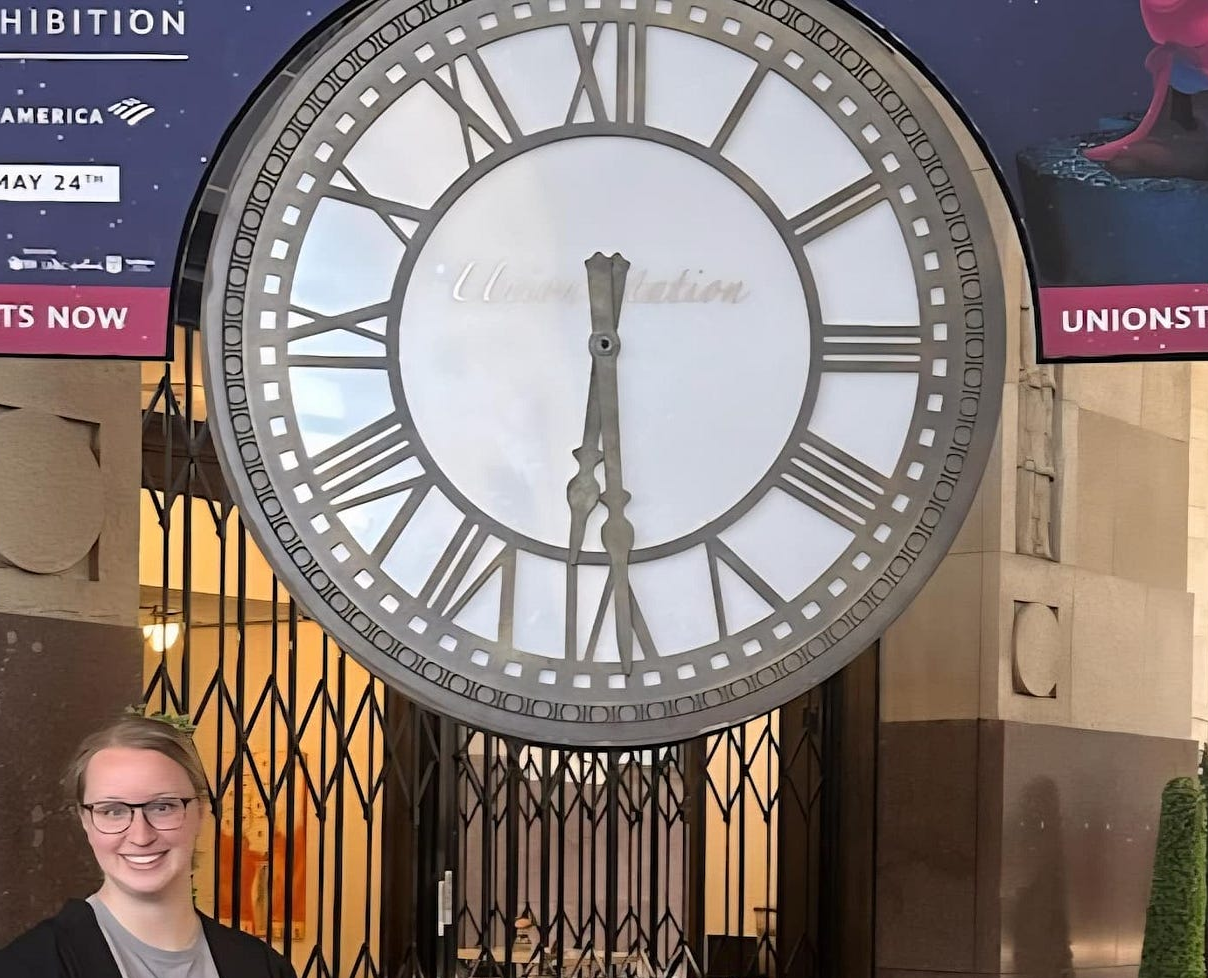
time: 6:29
